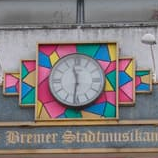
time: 11:31
